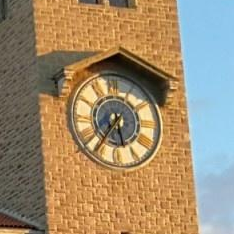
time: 5:36
